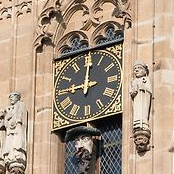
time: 9:00
